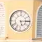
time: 5:14
